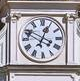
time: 12:49
